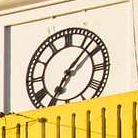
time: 7:07
